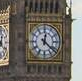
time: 12:21
